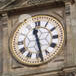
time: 11:28
